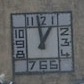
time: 12:58
